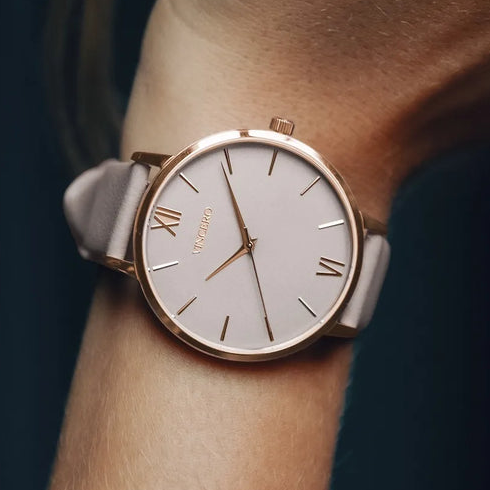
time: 4:54
